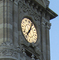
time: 7:04
